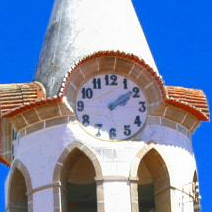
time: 2:09
